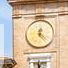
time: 12:23
